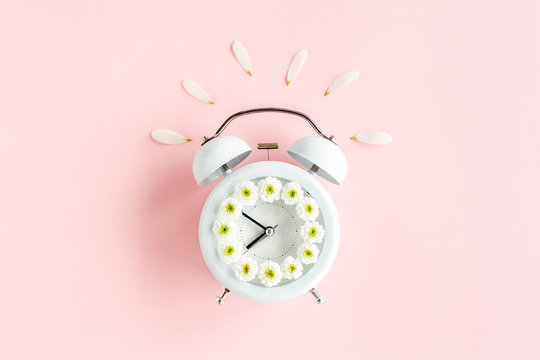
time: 7:50
